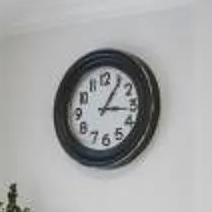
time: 3:05
